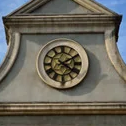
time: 4:10
